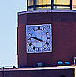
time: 3:47
